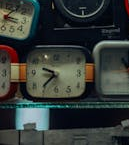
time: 9:36
